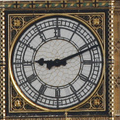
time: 9:11
